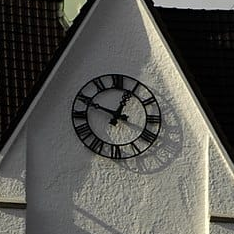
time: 12:48
